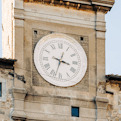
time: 3:32
